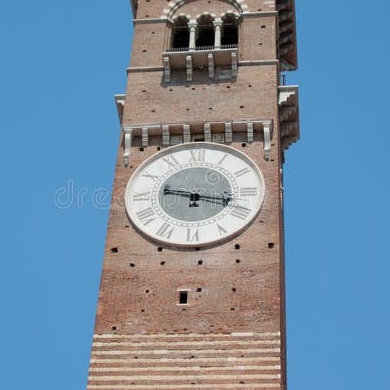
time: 9:17
